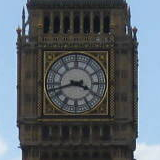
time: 3:42
